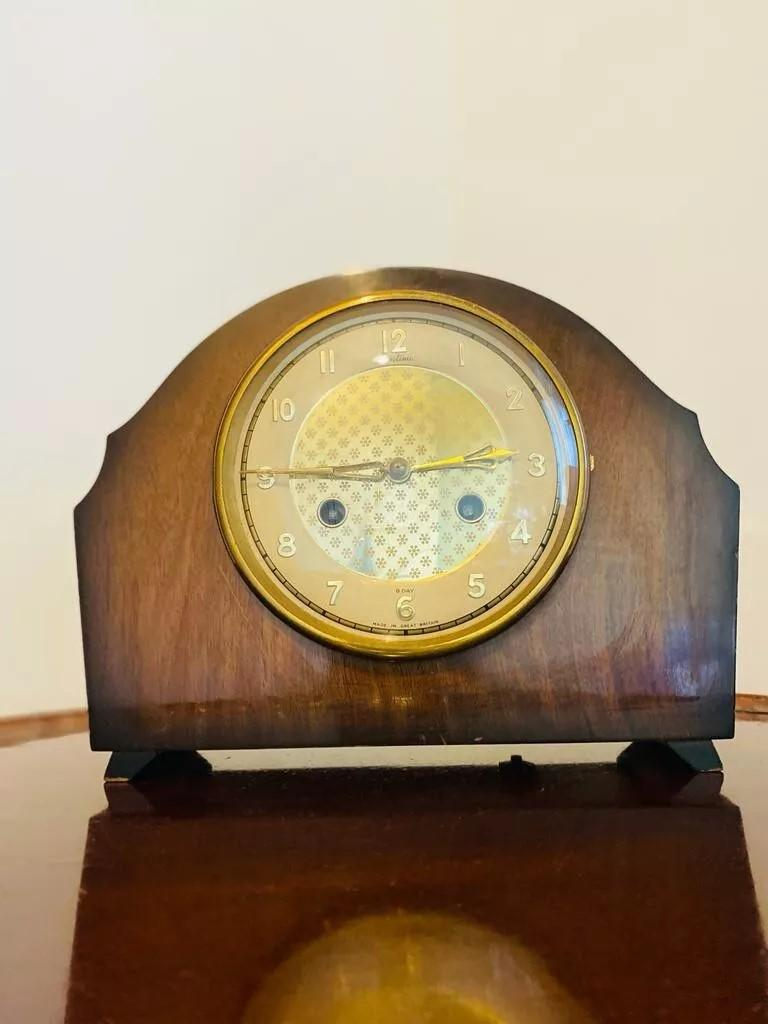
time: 2:45
